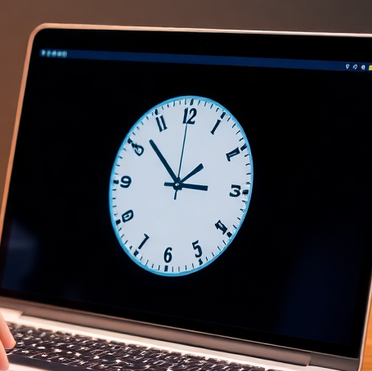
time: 1:52
